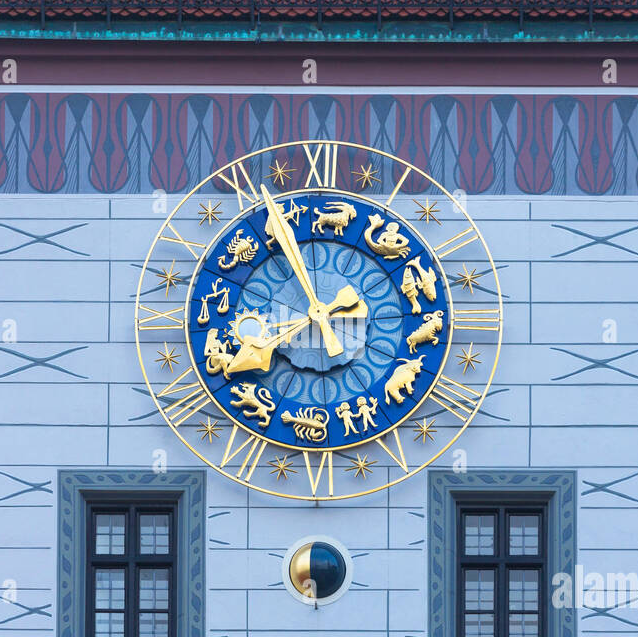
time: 7:55
